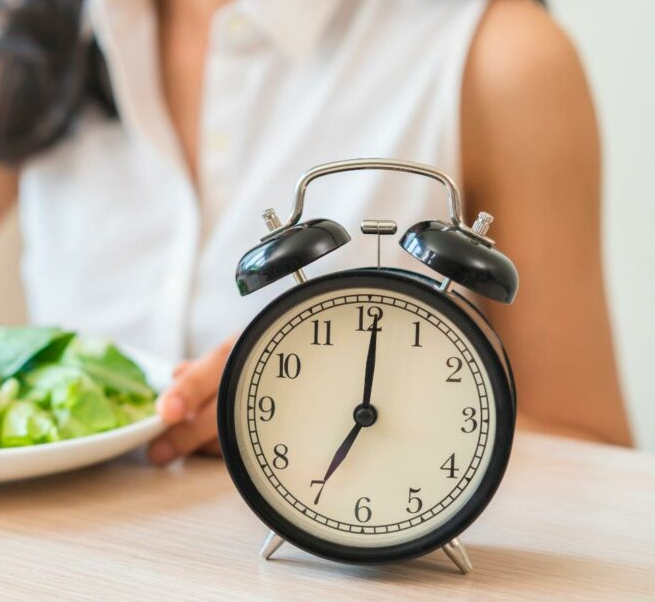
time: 7:00
